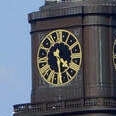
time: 4:28
